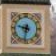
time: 9:32
